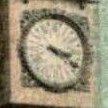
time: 3:20
